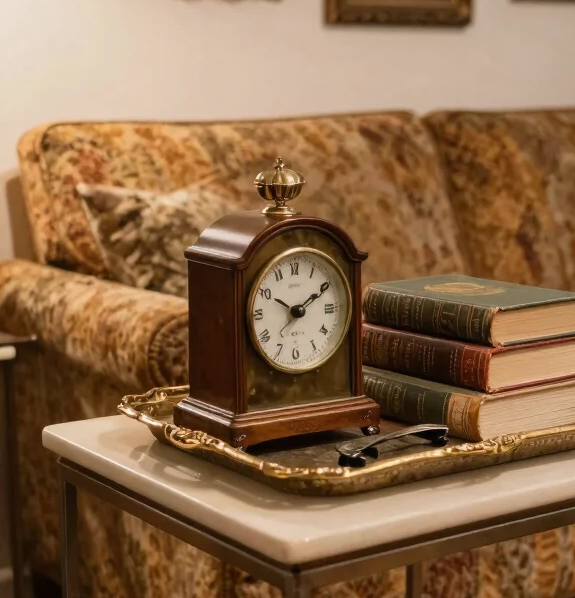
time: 10:11
